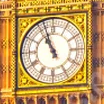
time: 10:56
